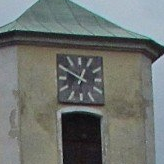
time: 12:49
